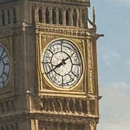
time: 1:39
